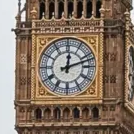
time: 12:12
